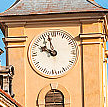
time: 9:57
